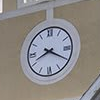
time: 8:19
